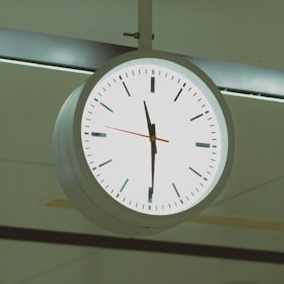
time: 11:29
